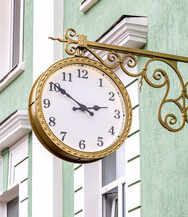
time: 2:50
